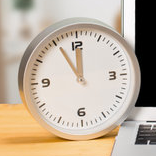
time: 11:55
